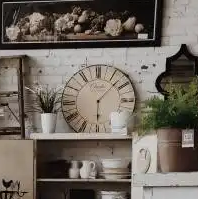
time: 6:07
